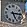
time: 5:14
